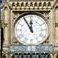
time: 11:54
